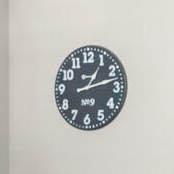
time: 1:12
